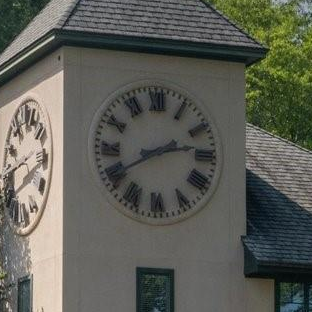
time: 2:40
